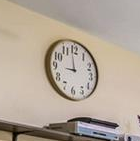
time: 8:58
